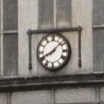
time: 8:07
